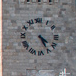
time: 4:26
